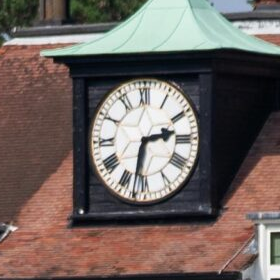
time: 2:32
